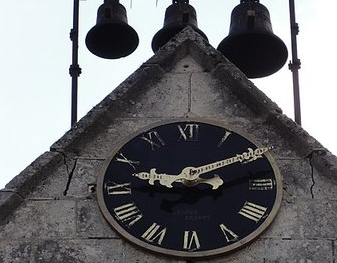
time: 9:12
